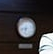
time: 8:32
